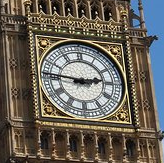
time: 2:46
